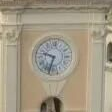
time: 9:33
